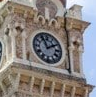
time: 1:56
